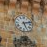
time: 5:12
